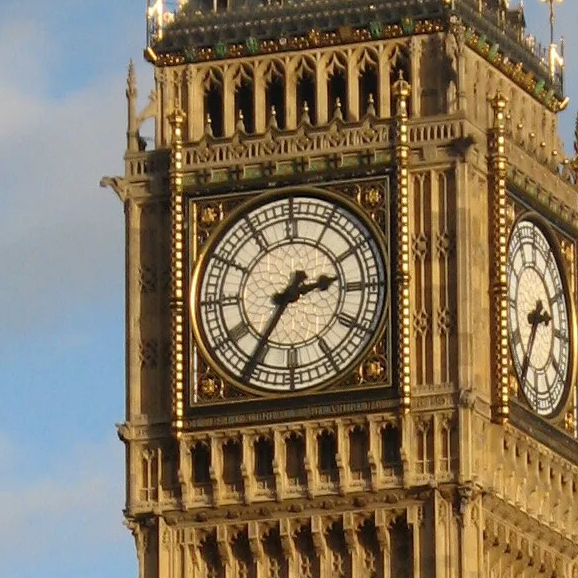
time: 2:35
